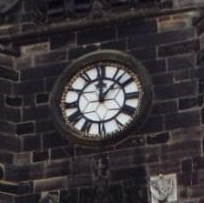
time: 12:07
